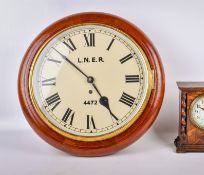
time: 4:52
